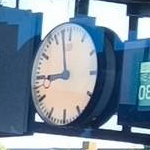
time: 8:57
